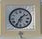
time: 1:34
